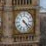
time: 4:22
